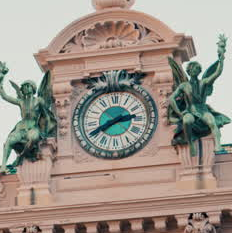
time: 2:40
